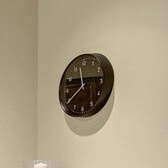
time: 11:39
